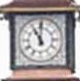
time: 11:00
